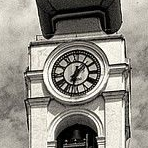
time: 1:32
